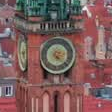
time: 4:21
